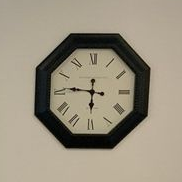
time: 5:46
